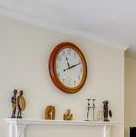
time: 11:11
